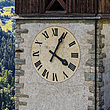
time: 4:04
